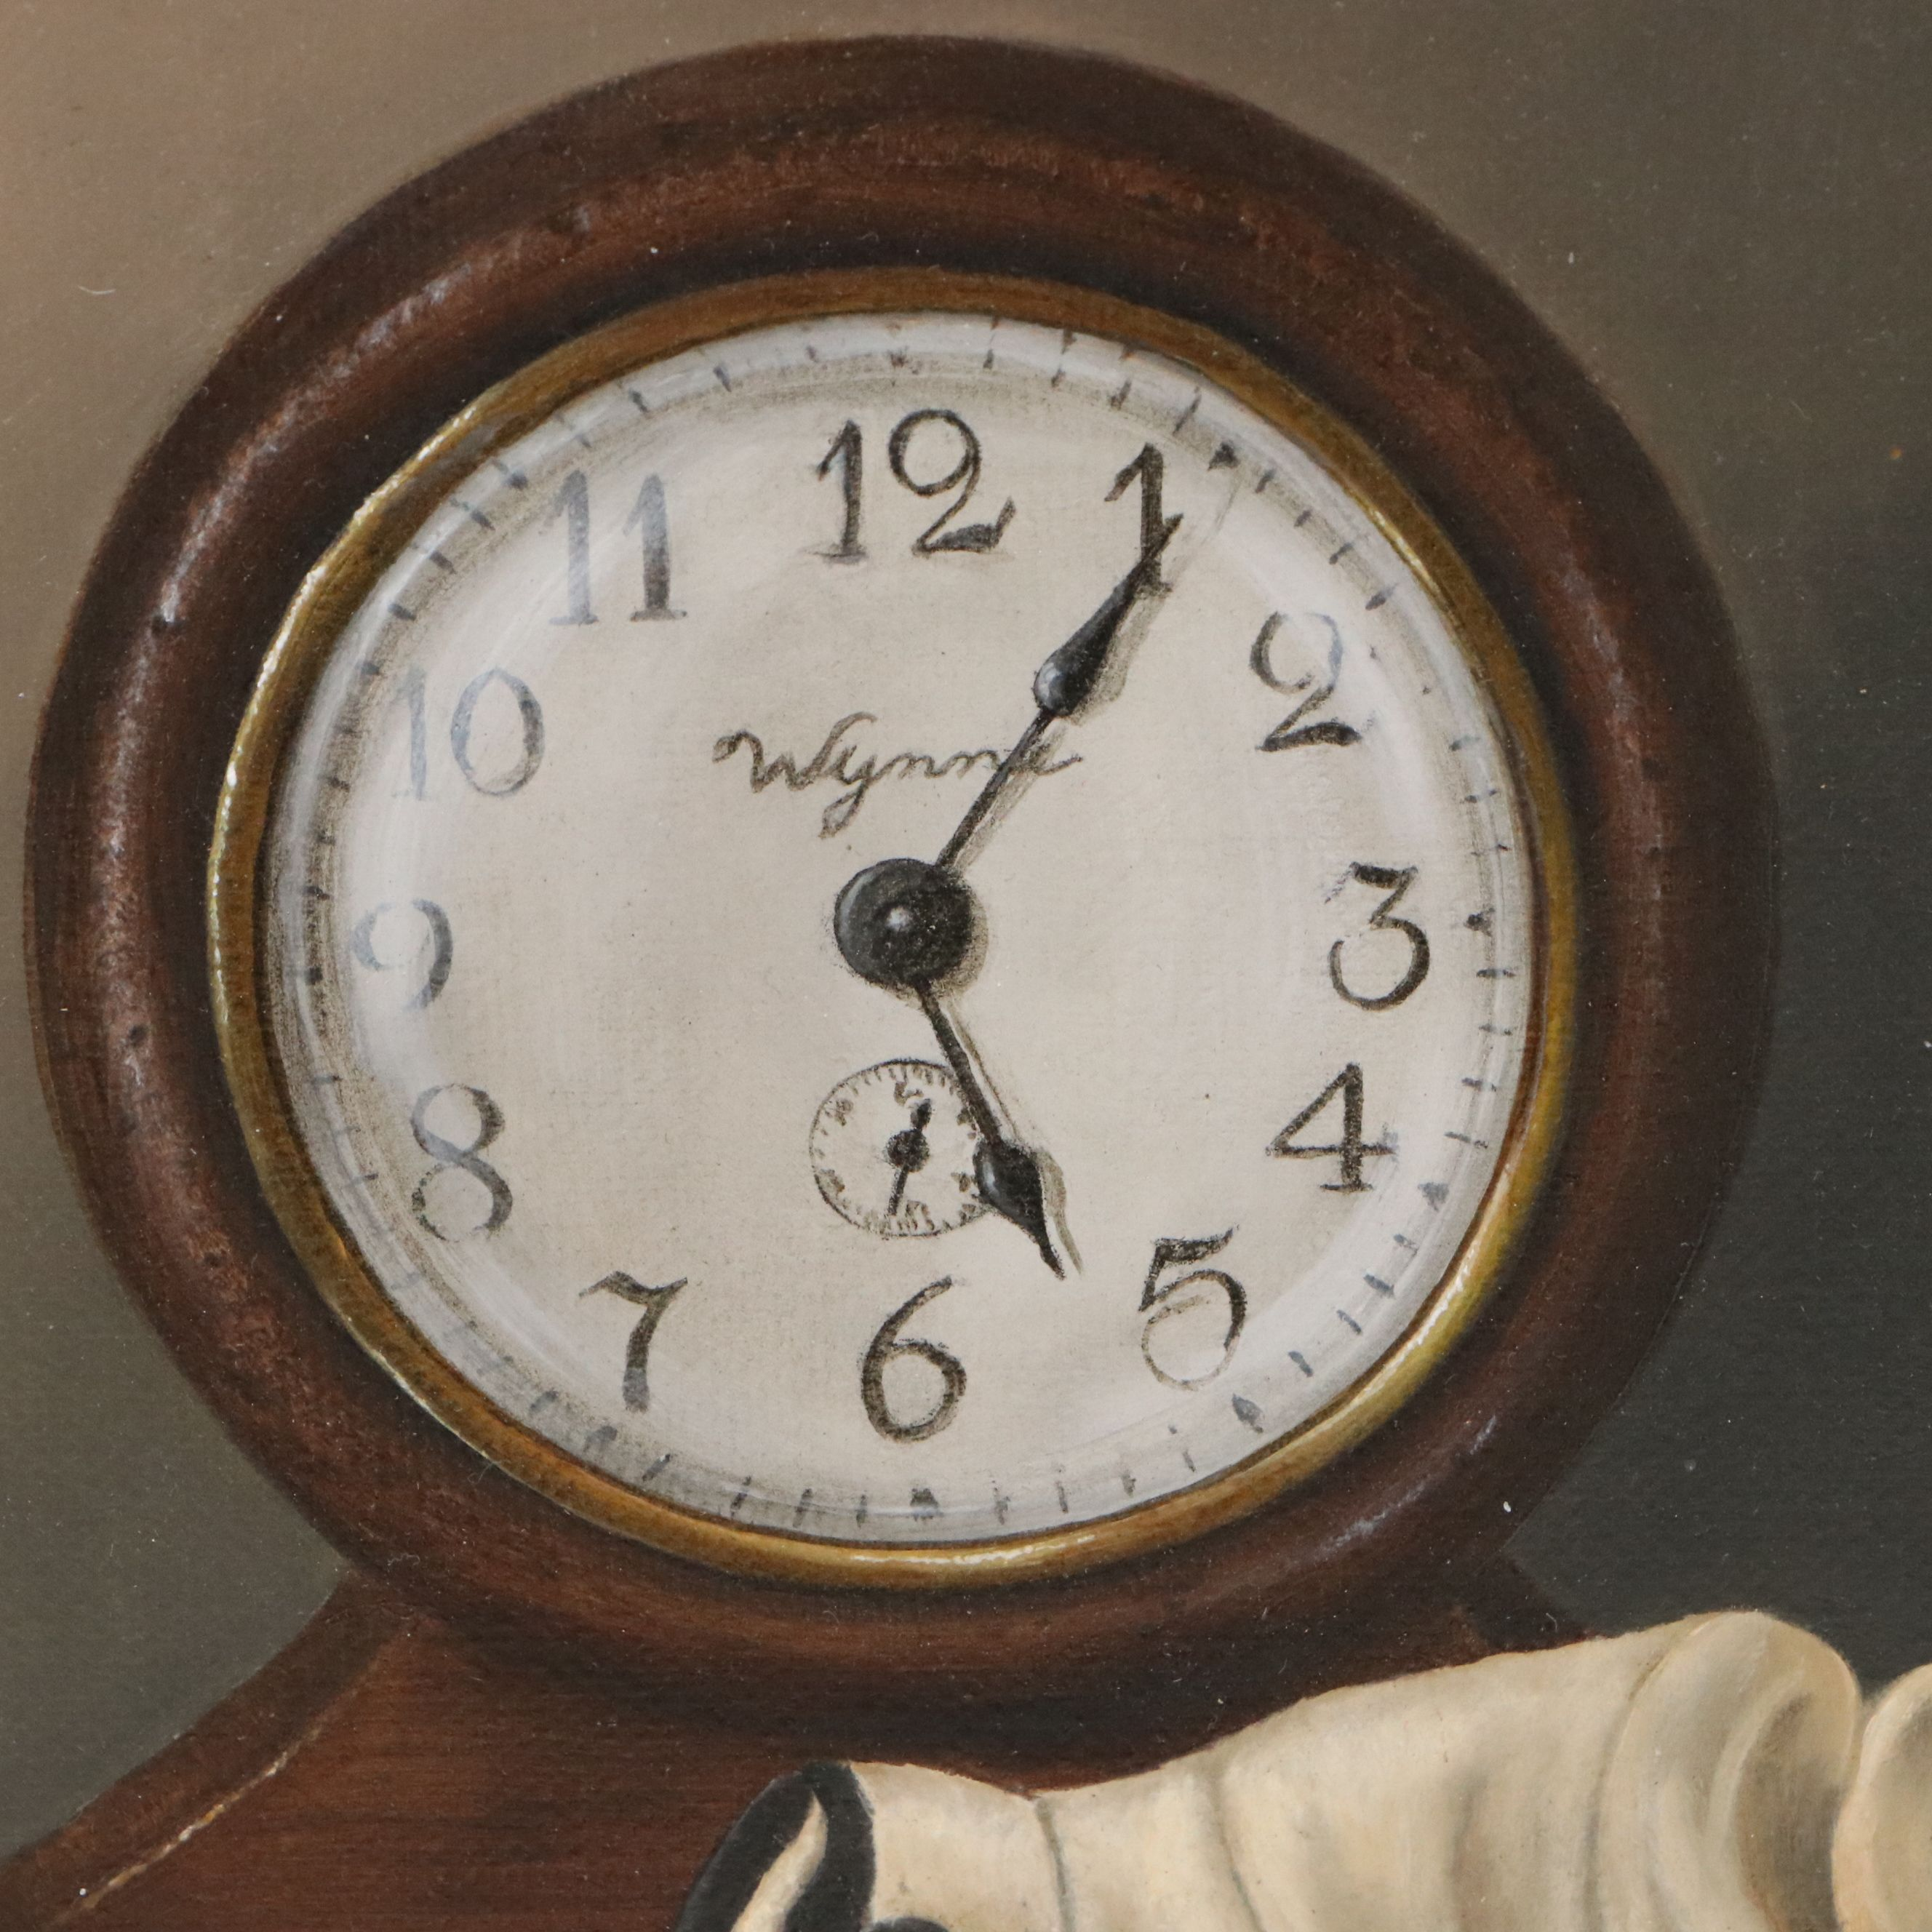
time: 5:05
